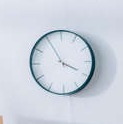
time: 3:55
